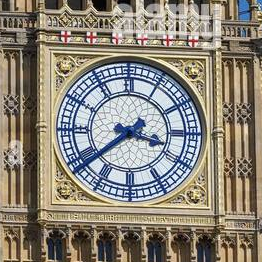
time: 3:38
